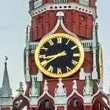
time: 8:38
